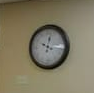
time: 12:16
